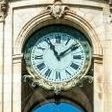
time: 11:08
